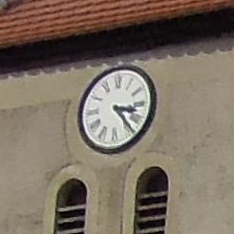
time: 3:22
